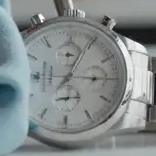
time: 3:04
